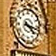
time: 4:17
